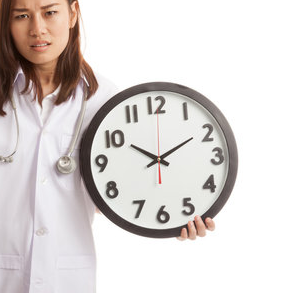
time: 1:50
